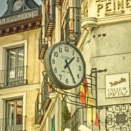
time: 1:24
